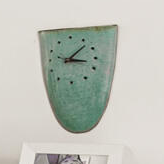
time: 3:07
